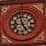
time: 4:57
